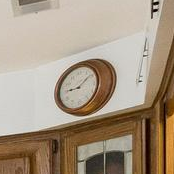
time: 9:08
